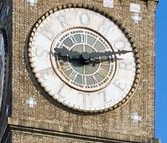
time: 9:12
